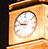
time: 9:45
